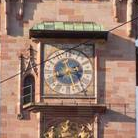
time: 3:27
